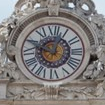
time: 12:48
